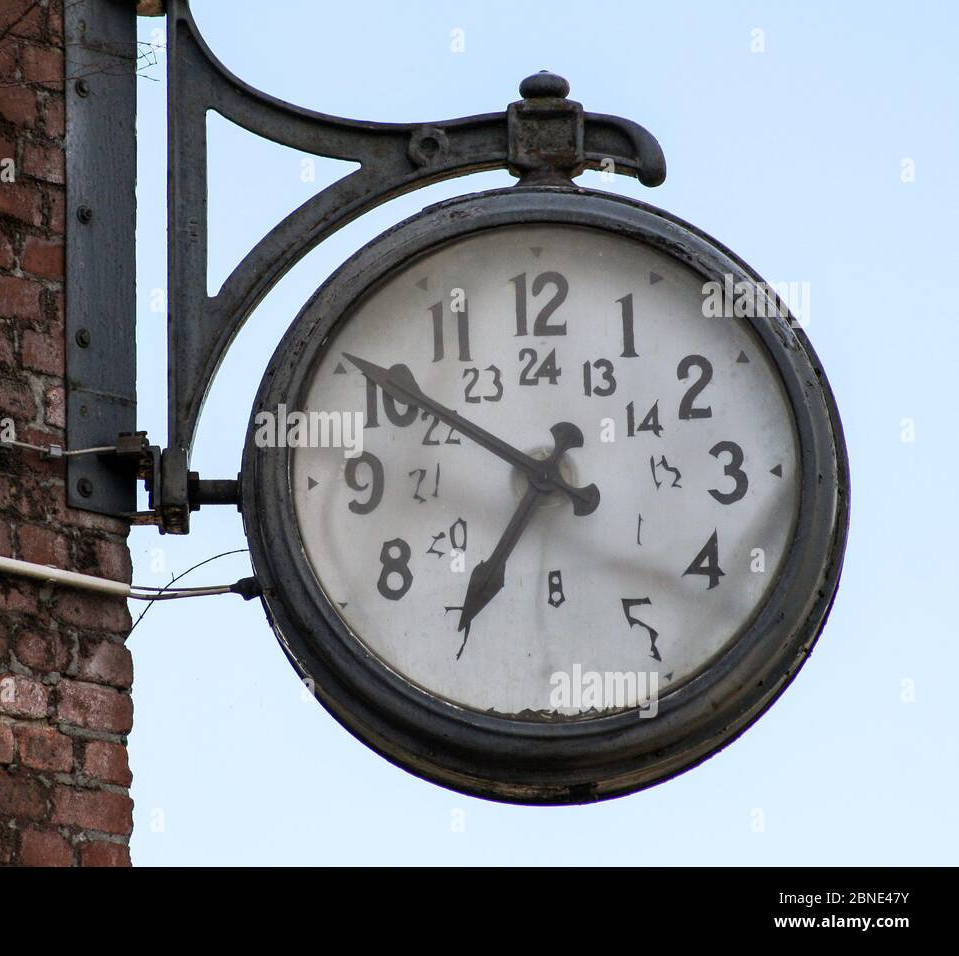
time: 6:50
